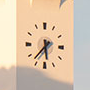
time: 5:37
